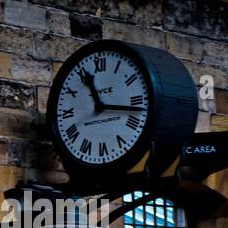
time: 11:16
